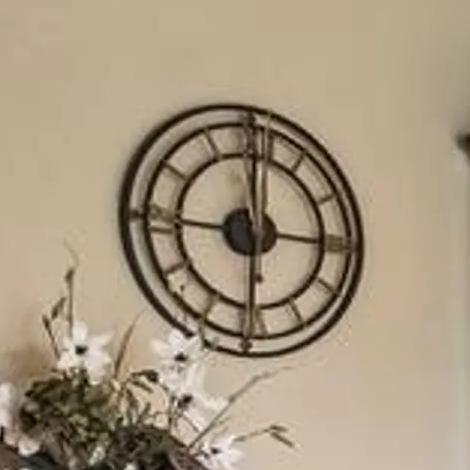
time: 5:59
